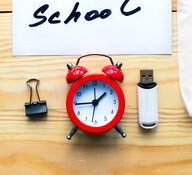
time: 1:44
